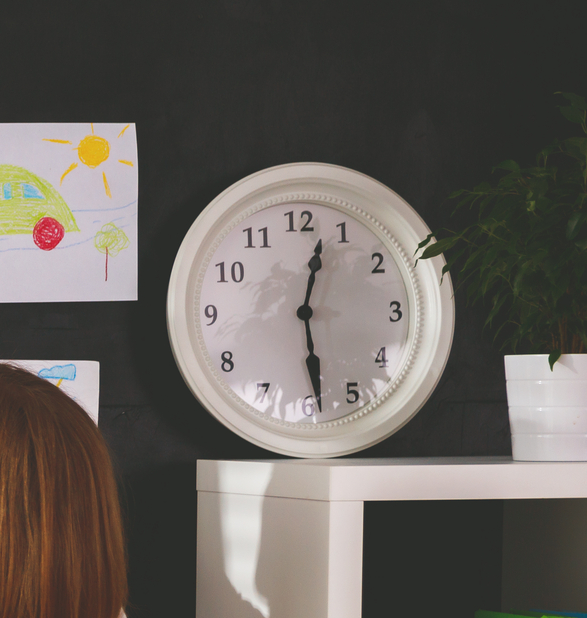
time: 12:28
